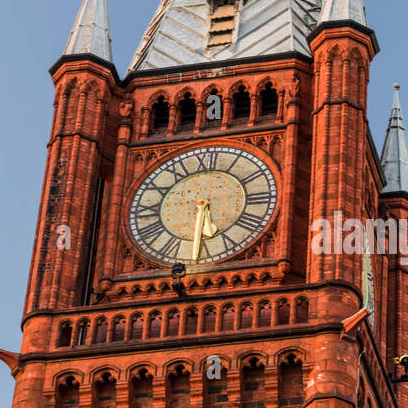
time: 5:30
